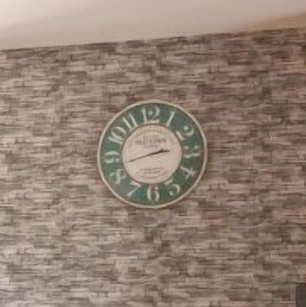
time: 2:42
